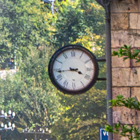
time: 3:43
